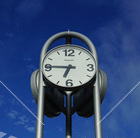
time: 6:45
